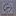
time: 2:38
